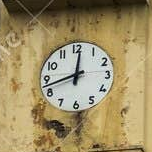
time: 11:42
